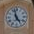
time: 4:57
